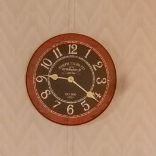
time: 9:21
